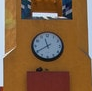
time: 11:40
